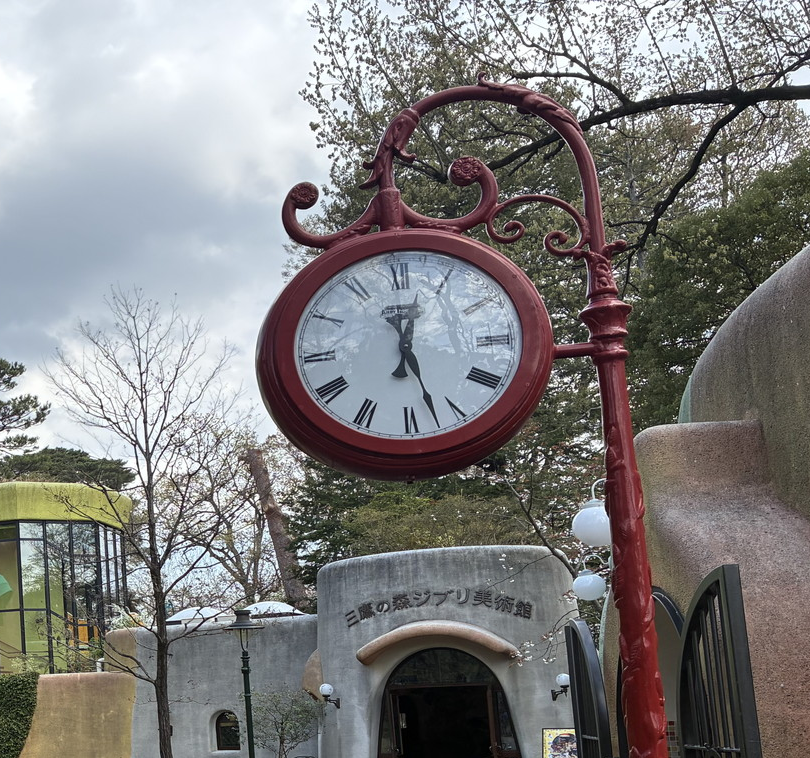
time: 12:27
